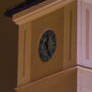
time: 12:24
